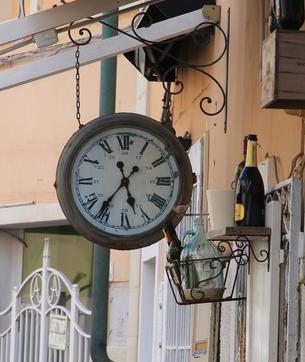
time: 5:36
